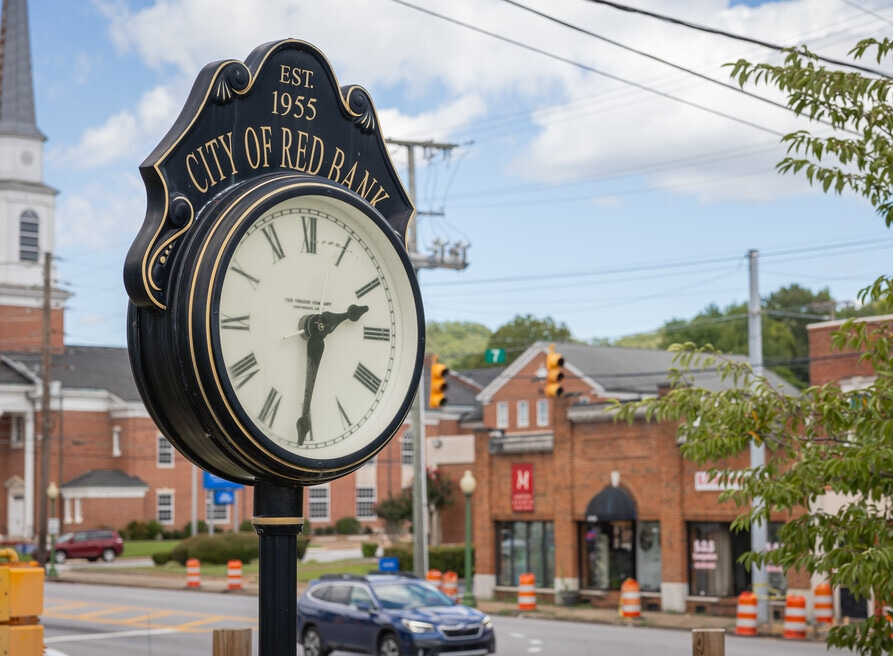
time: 2:30
